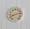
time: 8:12
